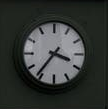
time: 3:36
